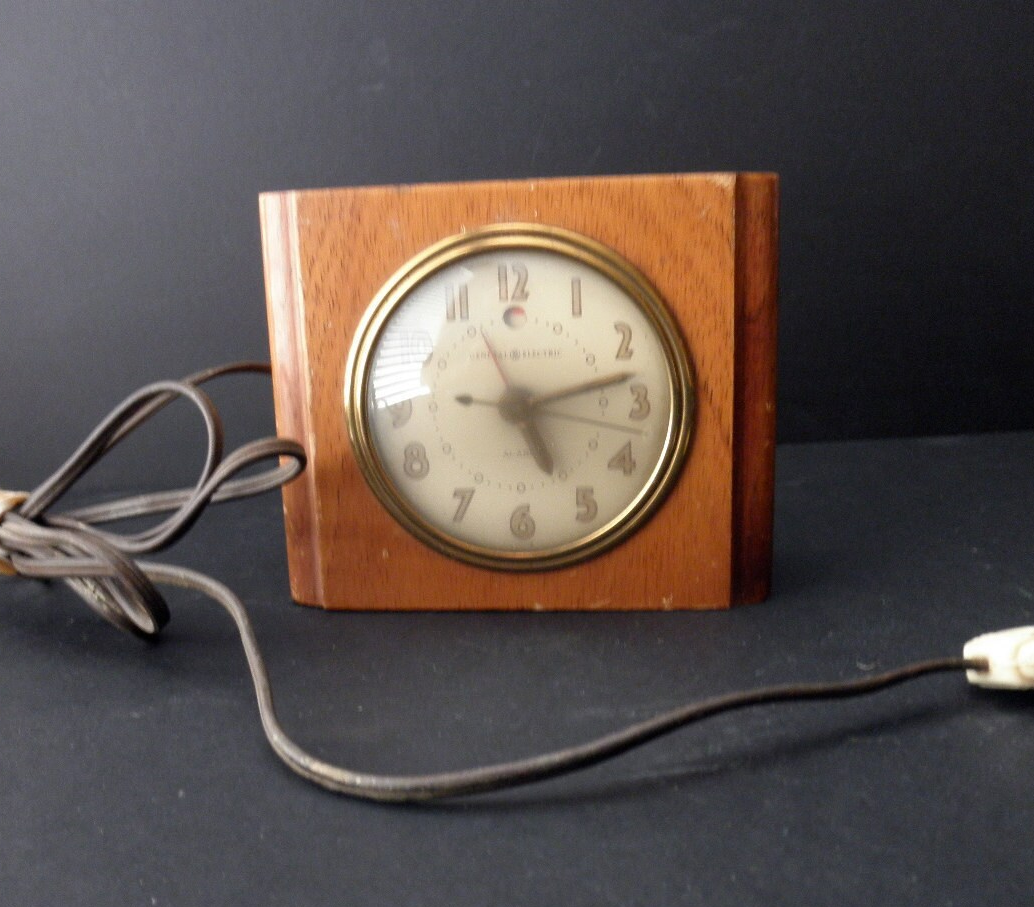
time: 5:12
